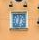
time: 12:32
